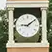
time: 9:08
